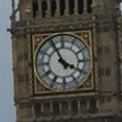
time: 3:55
